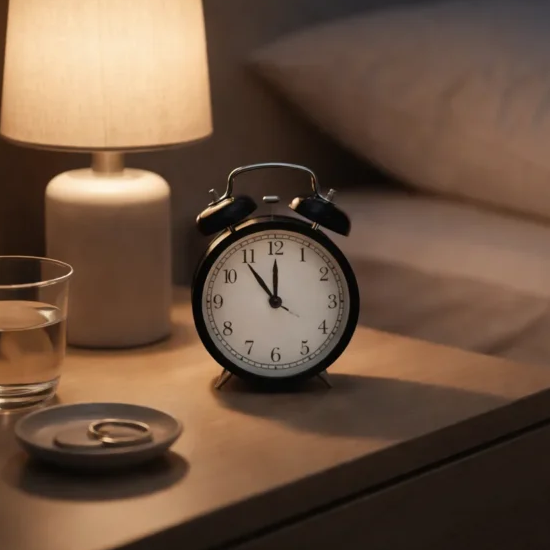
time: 11:53
